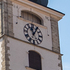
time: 11:05
